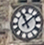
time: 11:08
